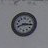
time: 8:15
